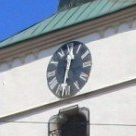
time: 12:32
